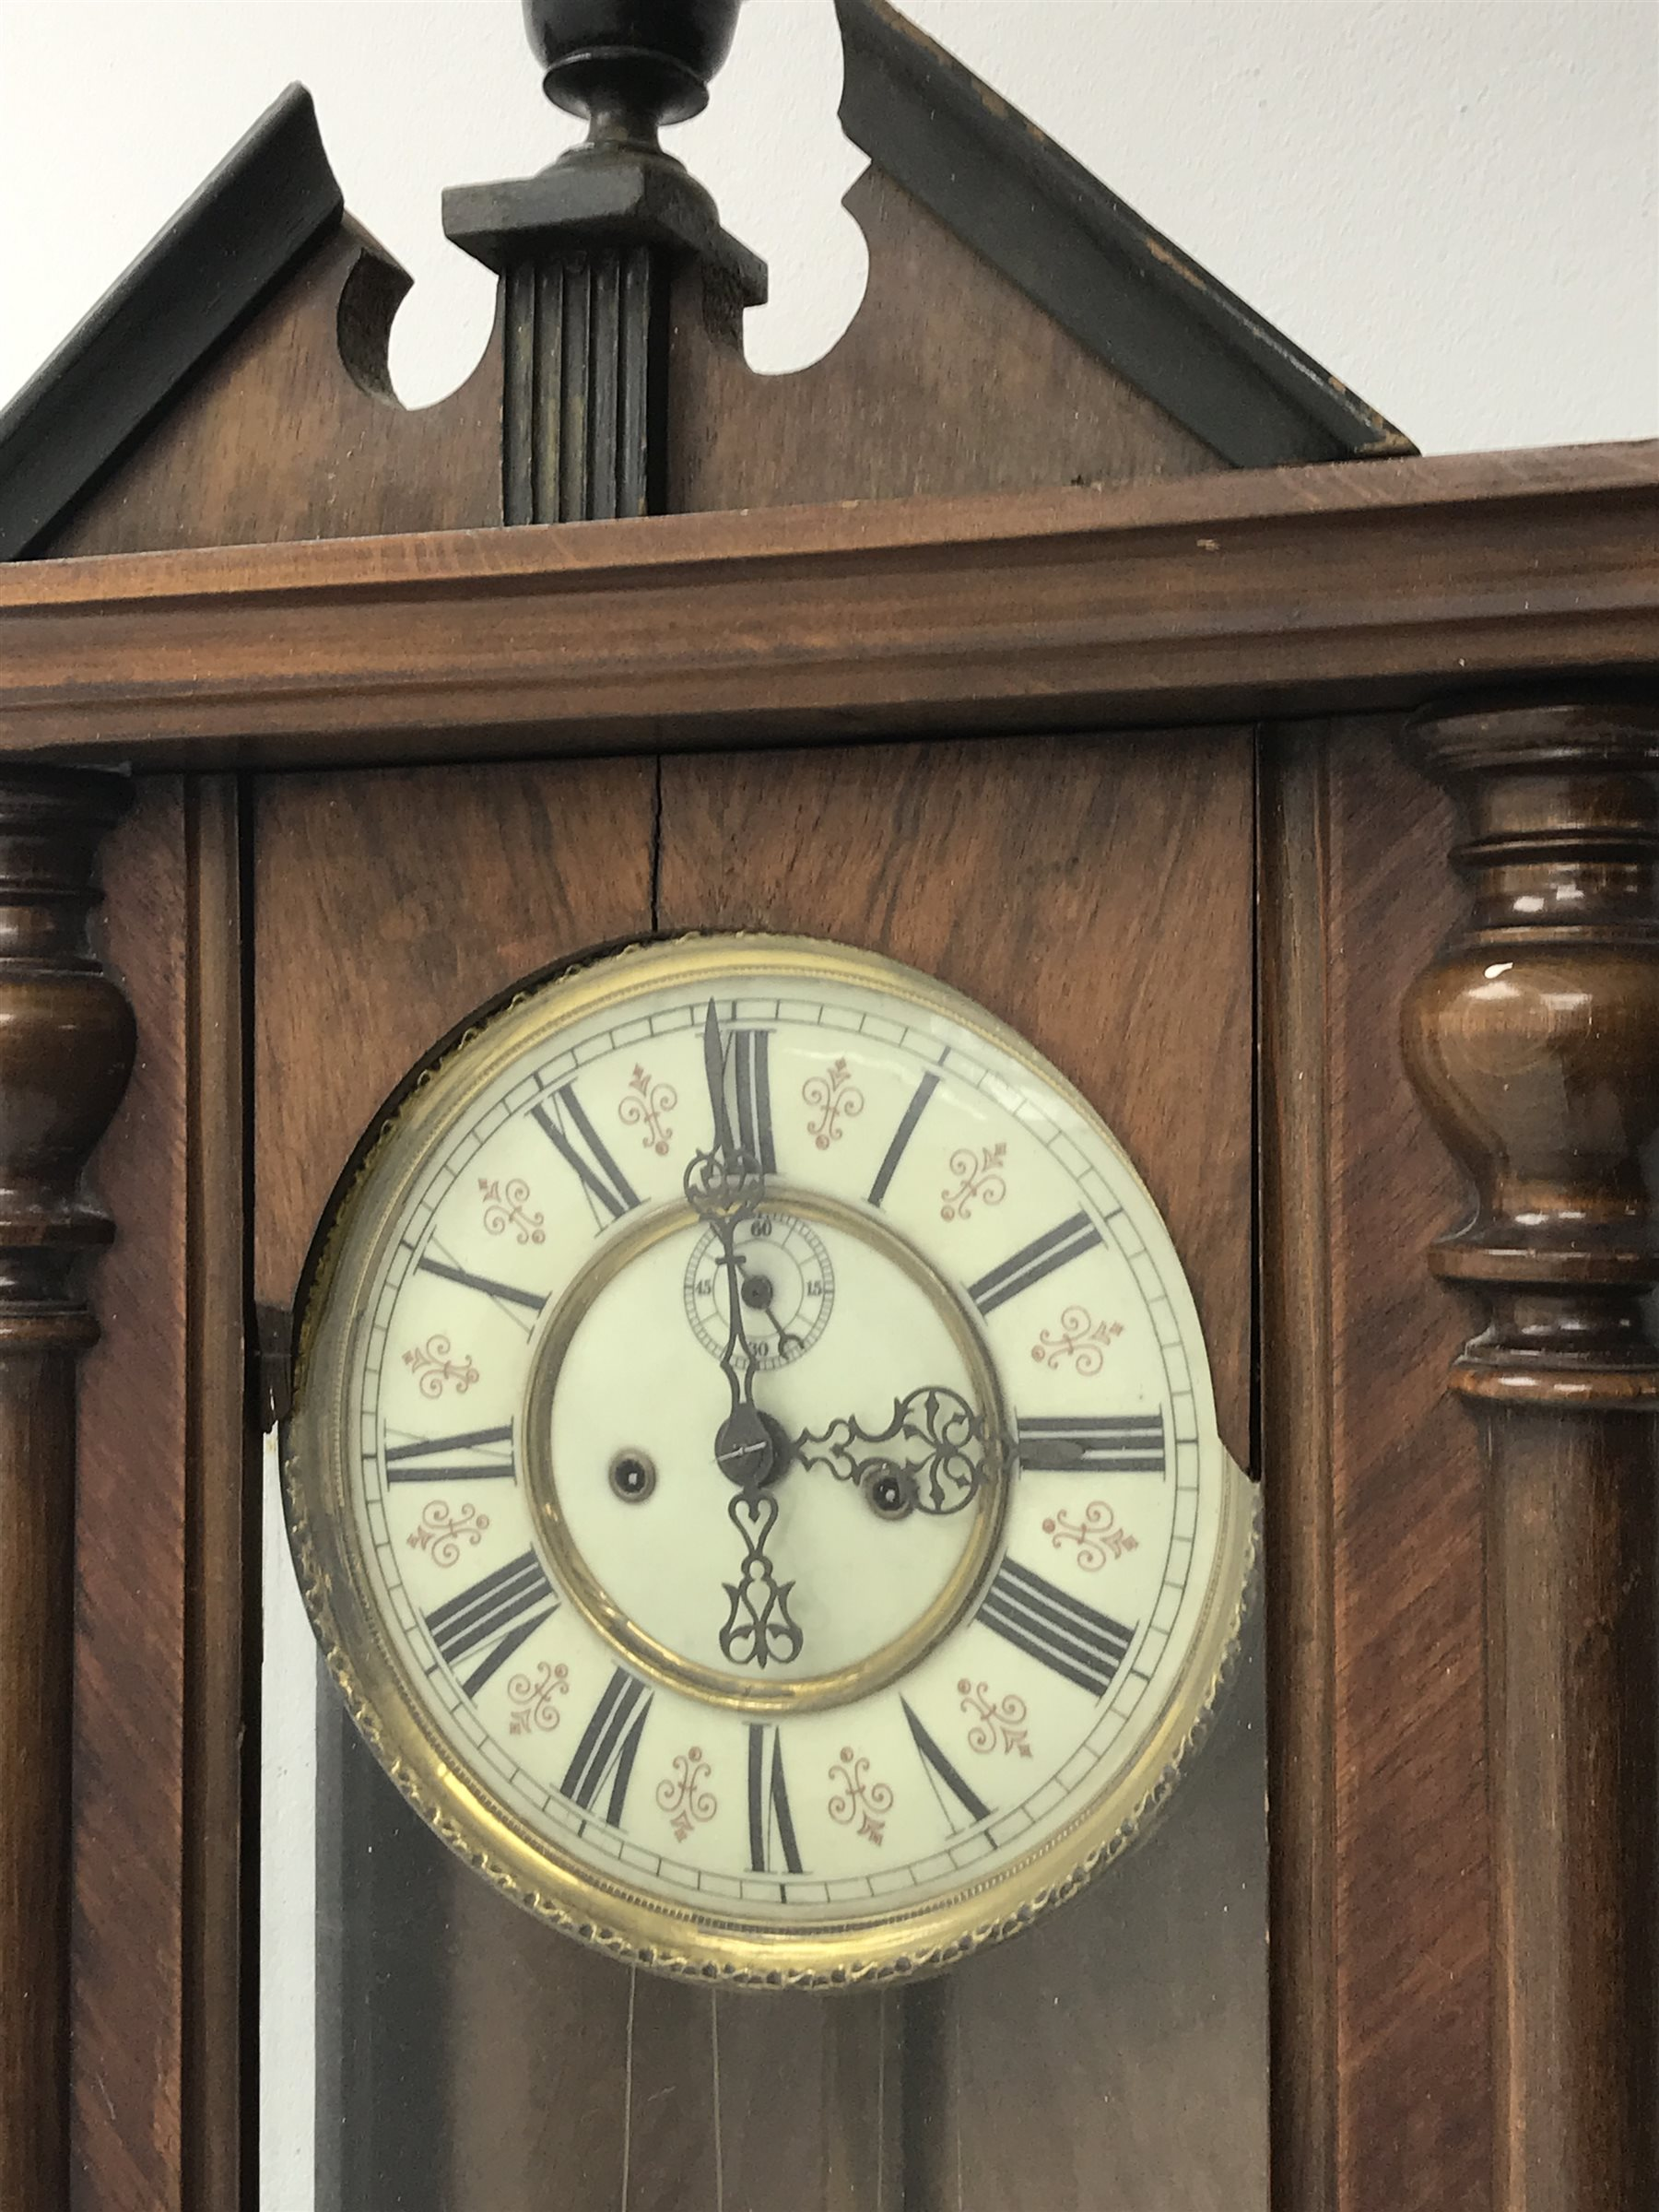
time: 3:00
